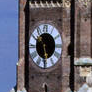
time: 5:30
